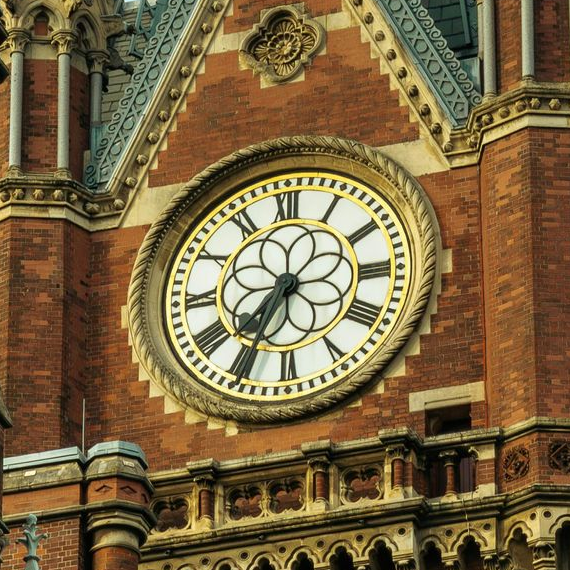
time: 7:34
